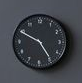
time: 4:49
